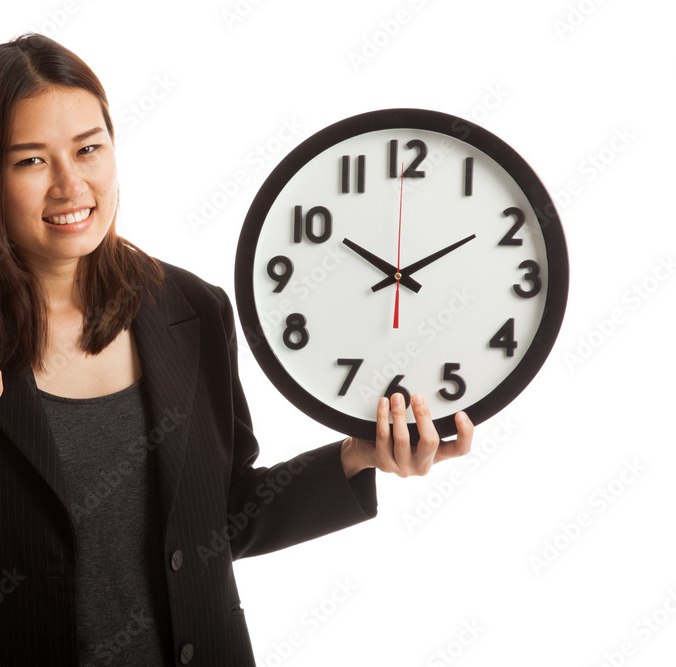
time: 1:50
